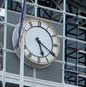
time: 5:20
